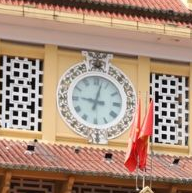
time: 9:02
